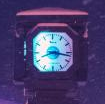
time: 8:16
